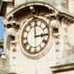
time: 2:59
